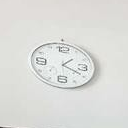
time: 1:19
